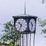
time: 10:34
